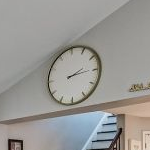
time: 2:14
